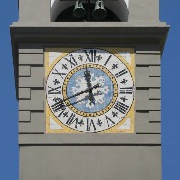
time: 11:40
